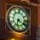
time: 6:19
